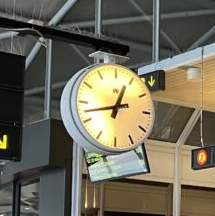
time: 12:42
